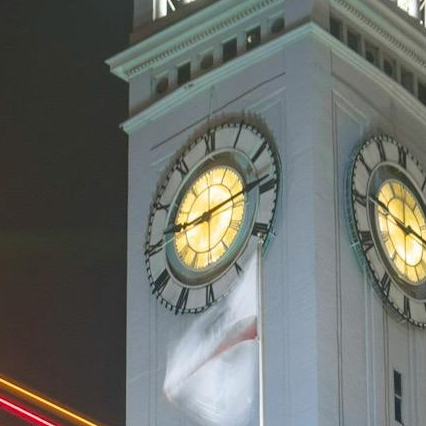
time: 9:13
